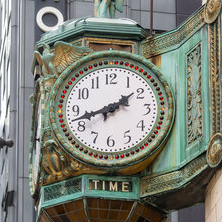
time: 1:42
